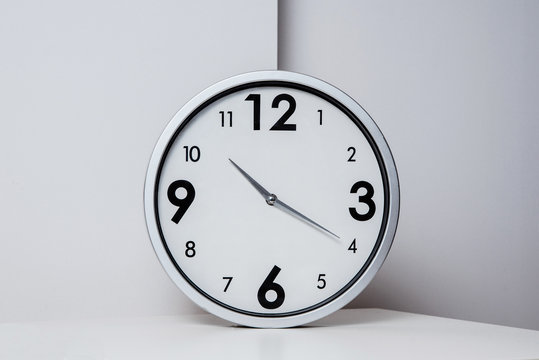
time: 10:19
